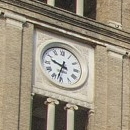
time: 9:32
